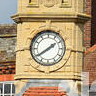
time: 1:39
